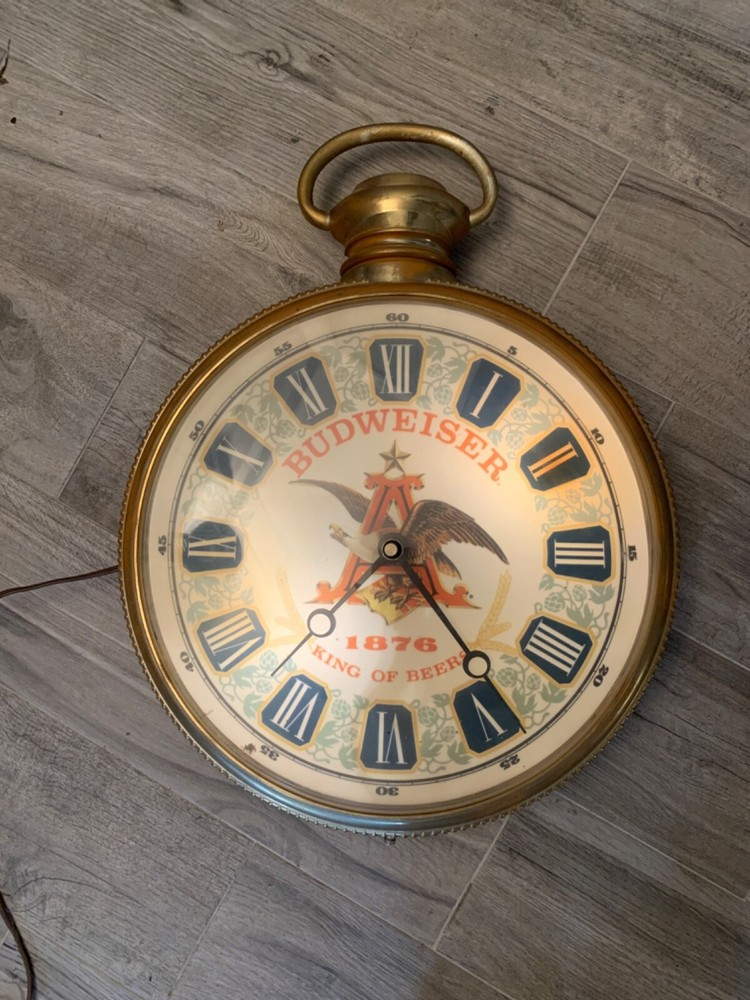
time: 7:23
